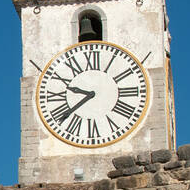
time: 9:38
